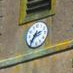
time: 2:36
